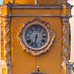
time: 6:32
